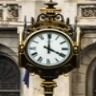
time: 4:00
